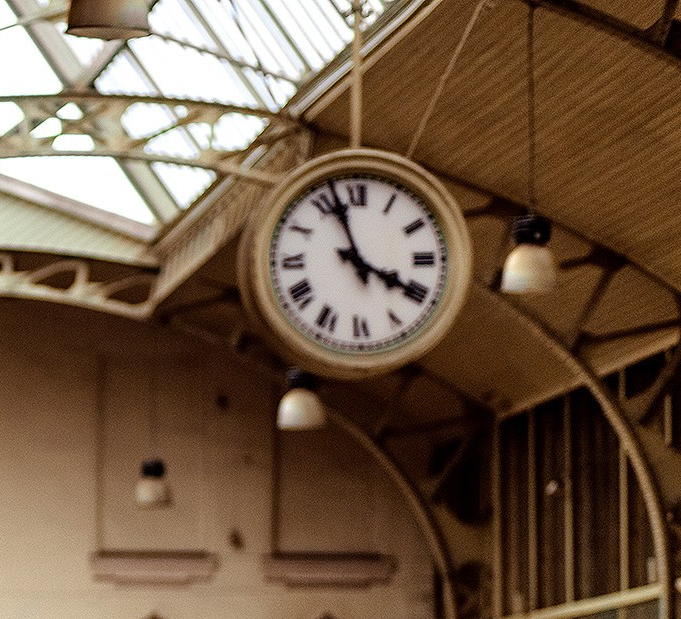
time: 3:57
